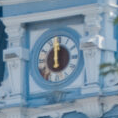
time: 11:59
